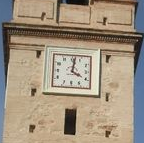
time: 4:01
